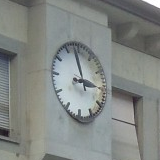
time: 2:57
